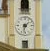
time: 1:32
